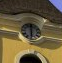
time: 6:00
